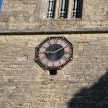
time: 9:10
